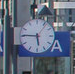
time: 5:45
